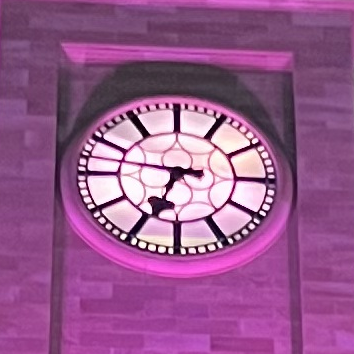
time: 6:47
